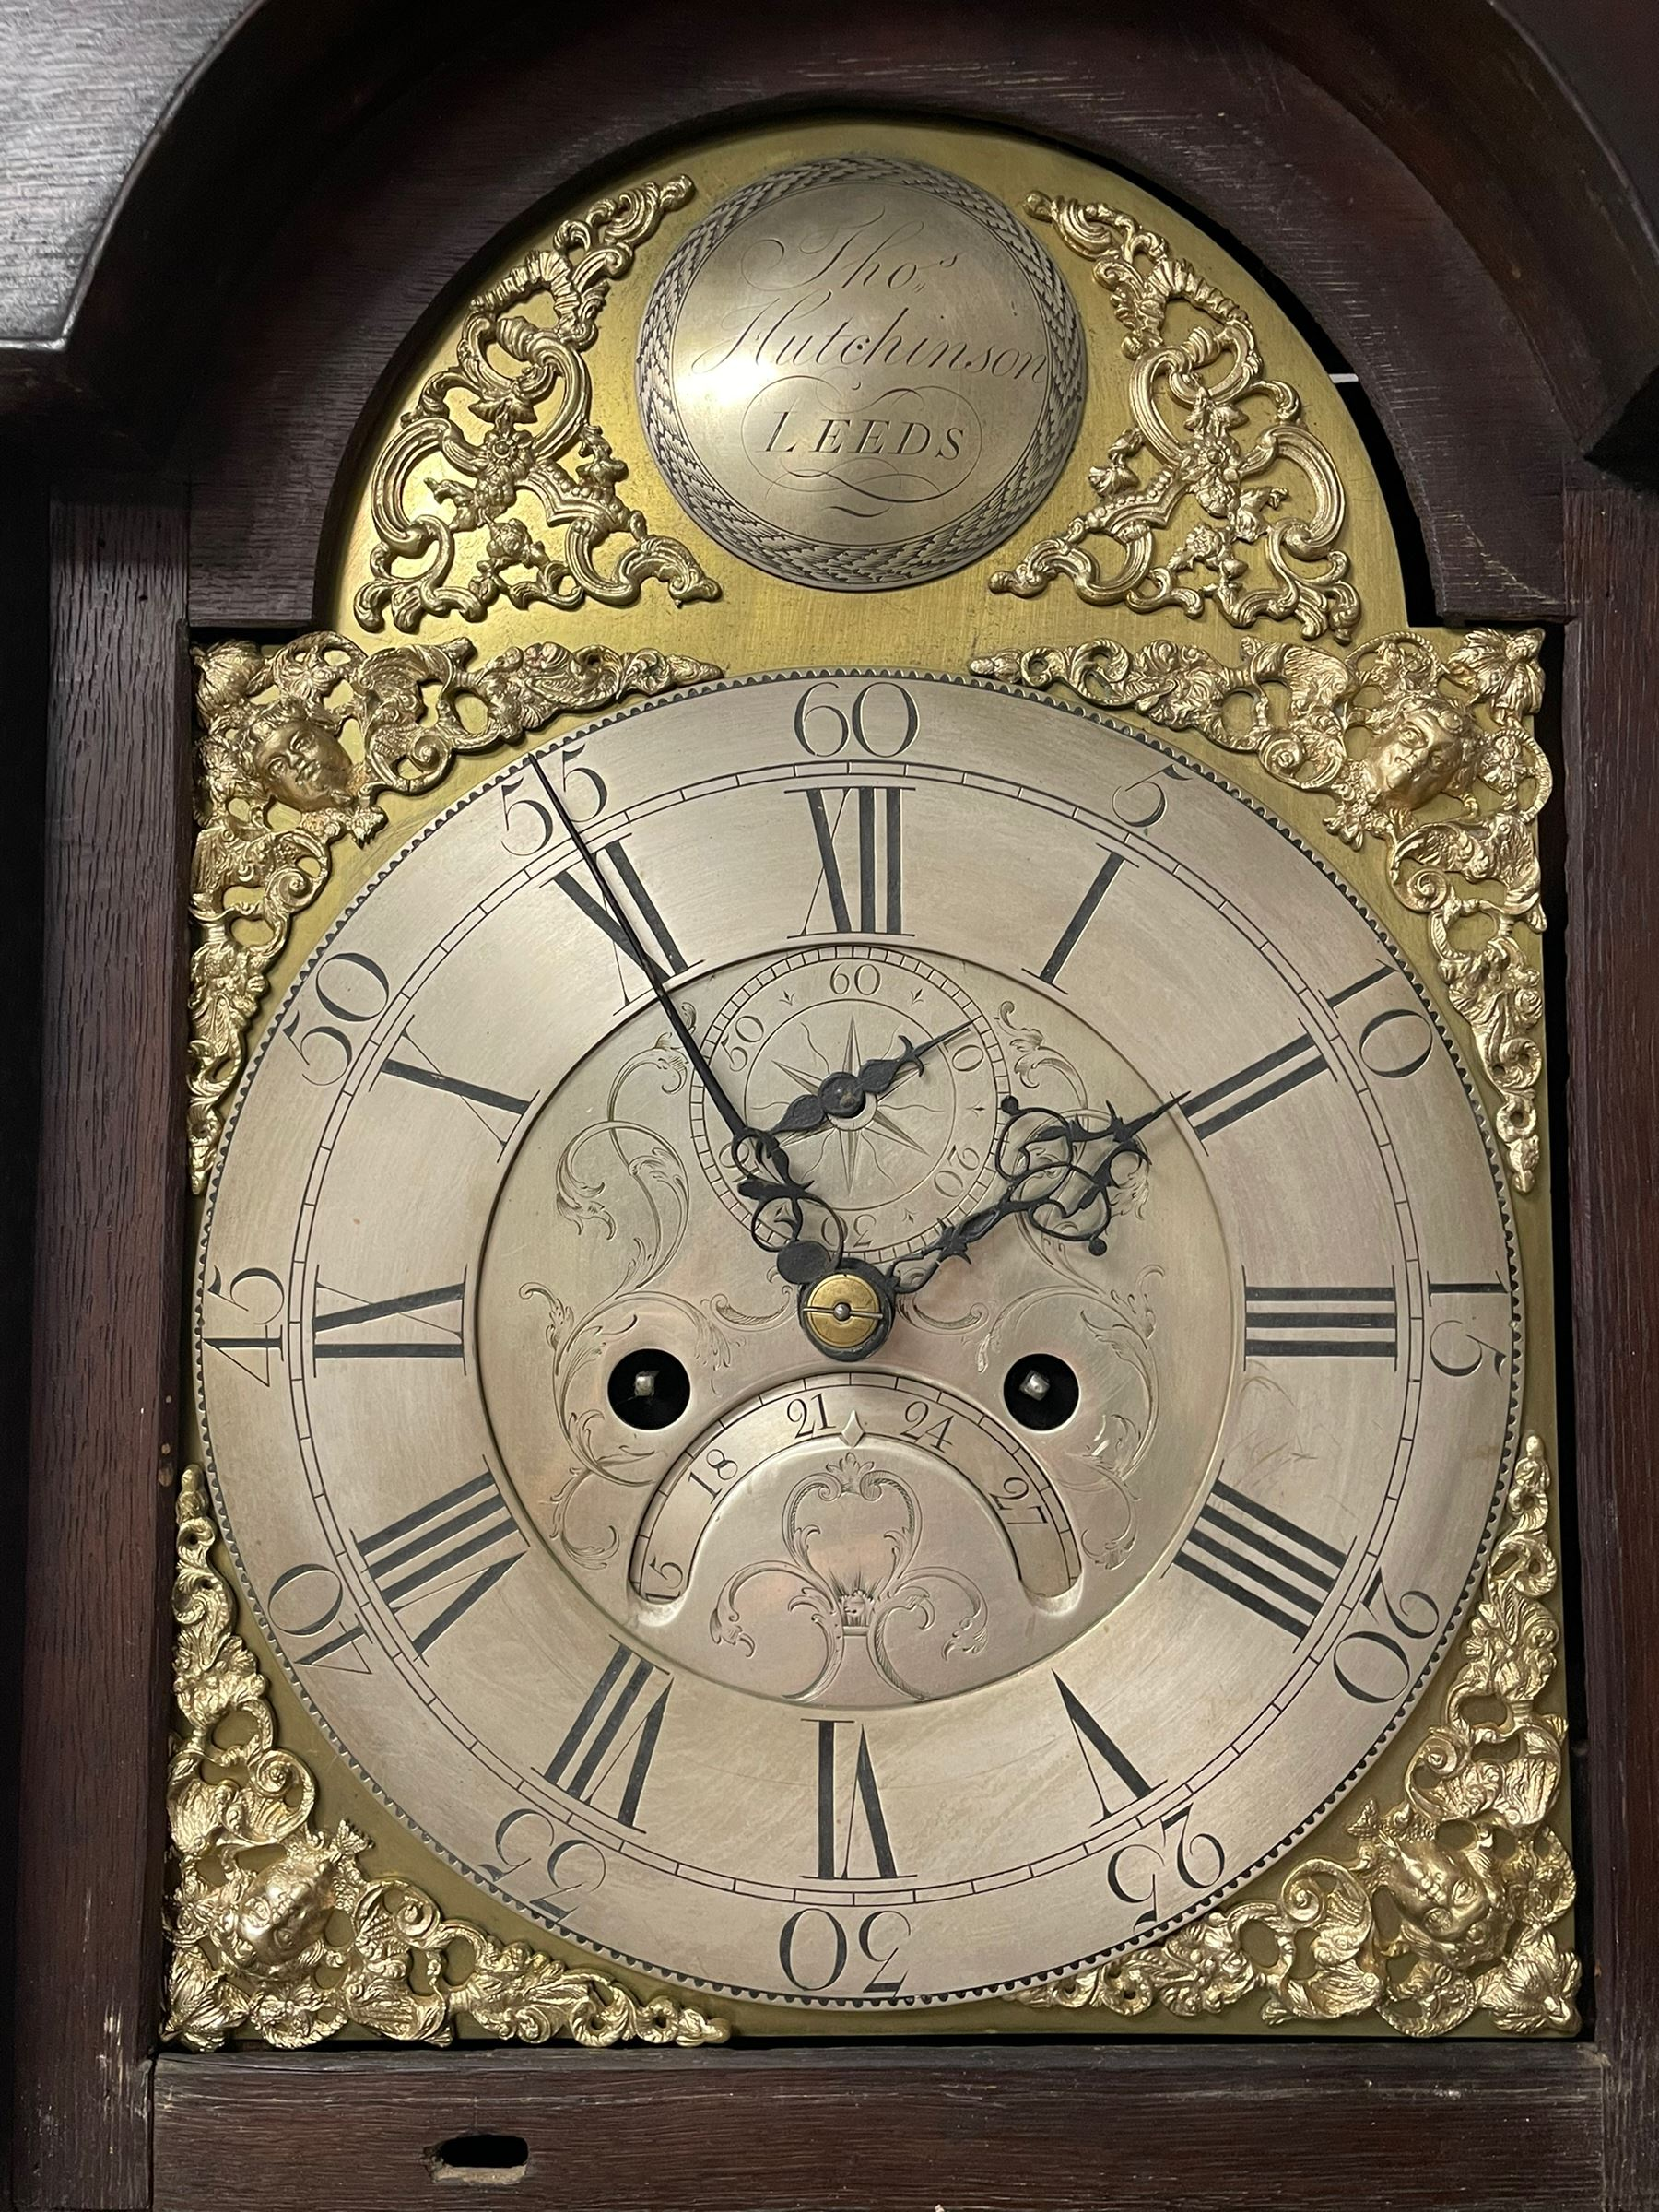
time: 1:54
